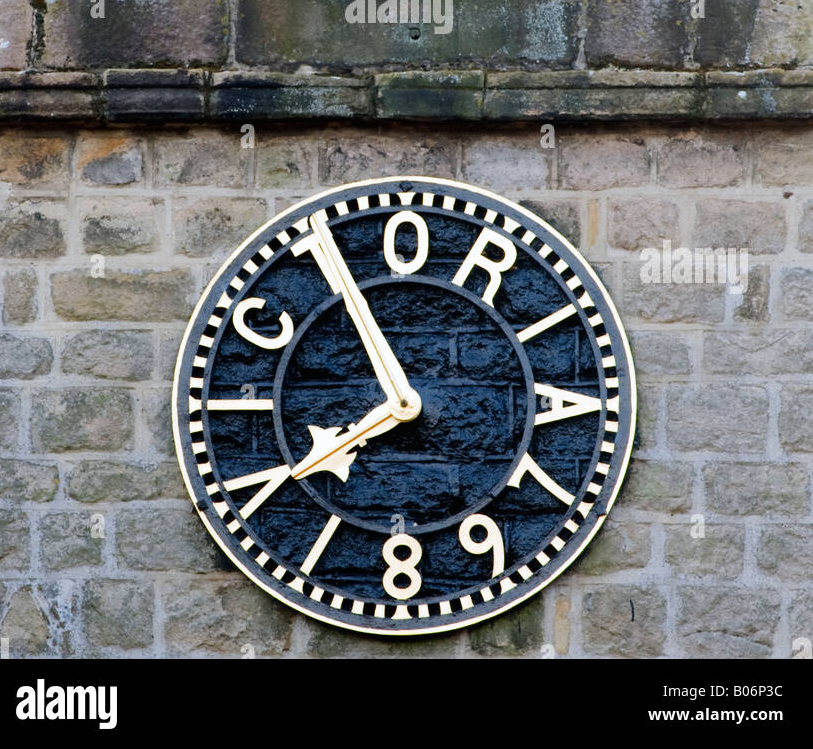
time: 7:55
